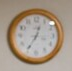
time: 12:35
